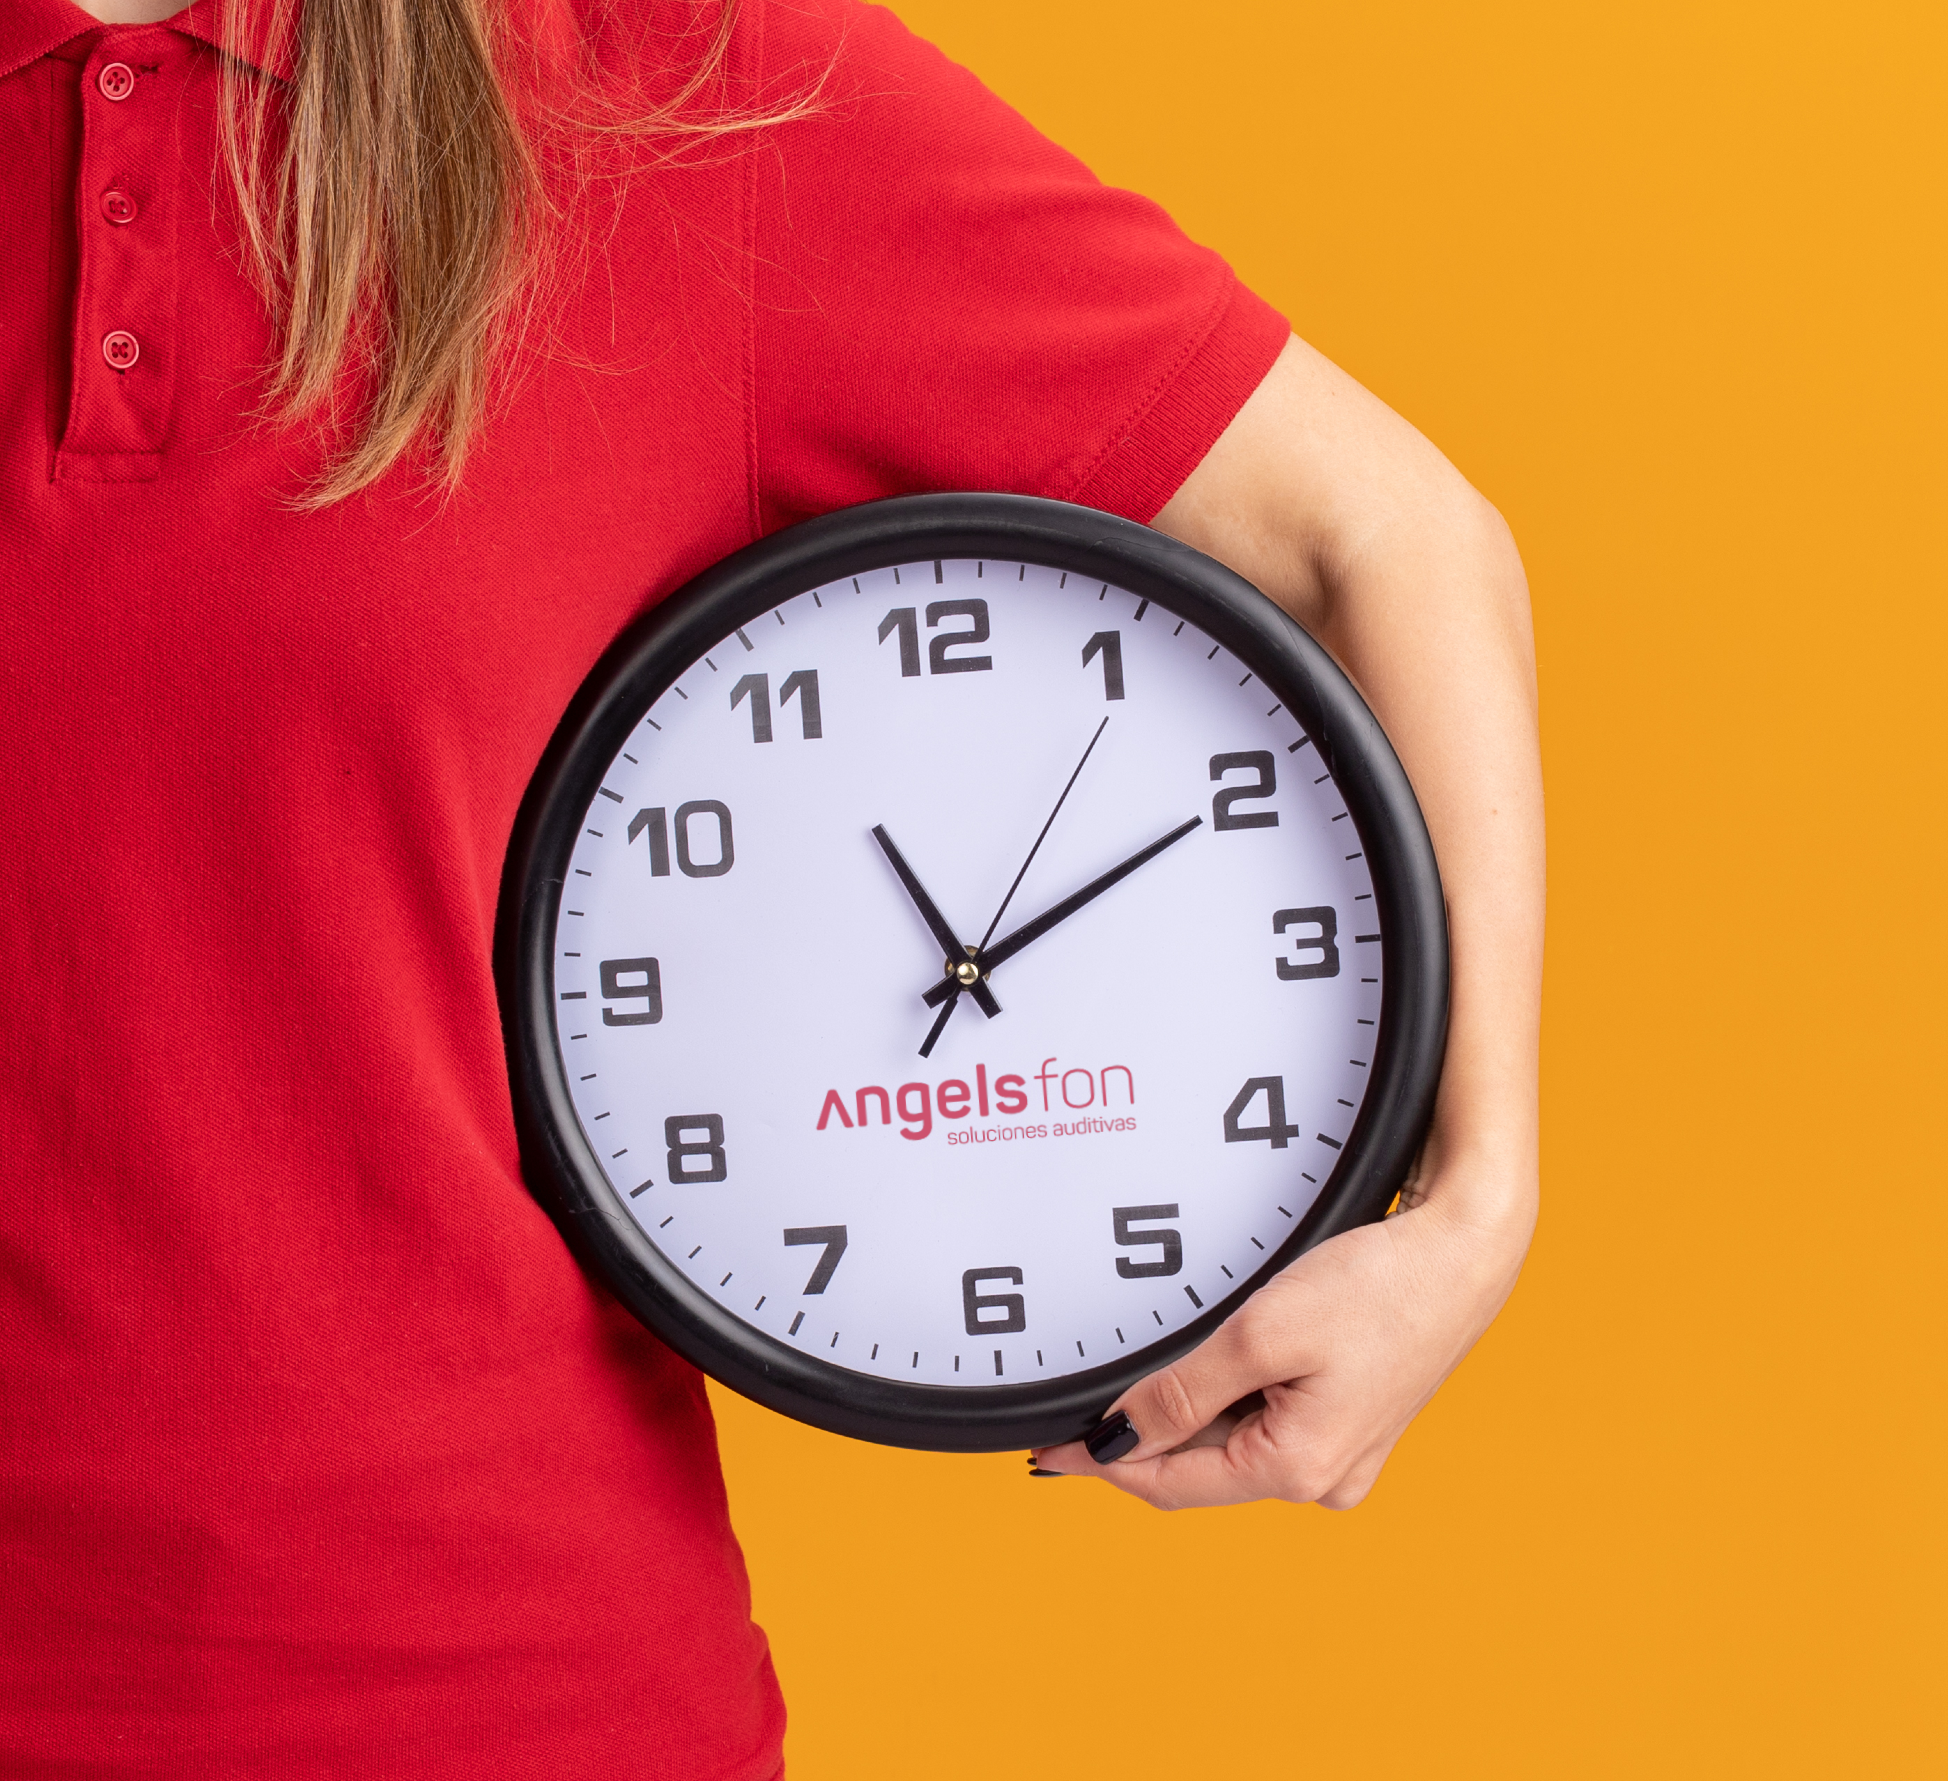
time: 11:09
